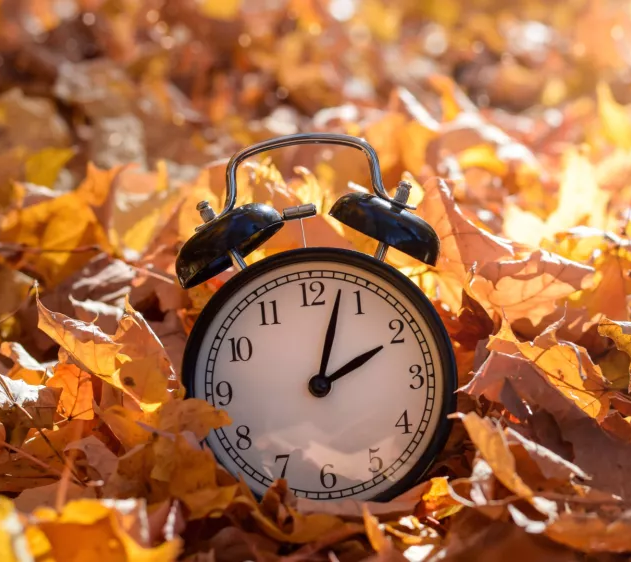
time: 2:03
